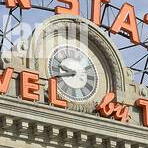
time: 9:42
